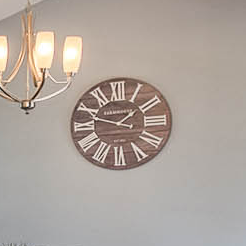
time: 1:47
